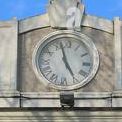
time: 4:57
